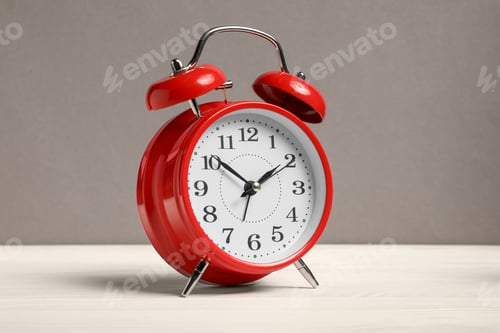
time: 1:51
